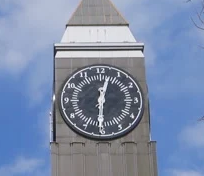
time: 12:30
